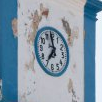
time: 6:58
